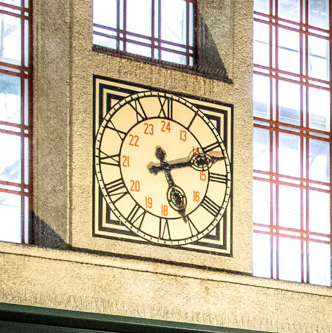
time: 5:12
